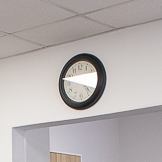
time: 3:47
